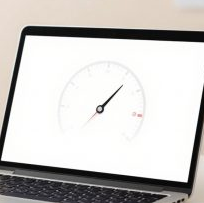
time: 1:06
